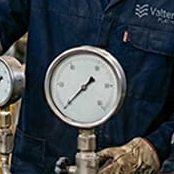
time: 1:38
